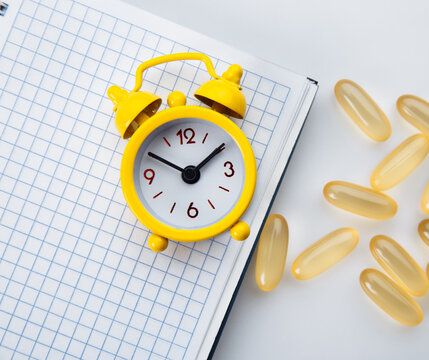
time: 1:49
